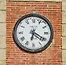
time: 6:20
